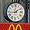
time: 1:43
